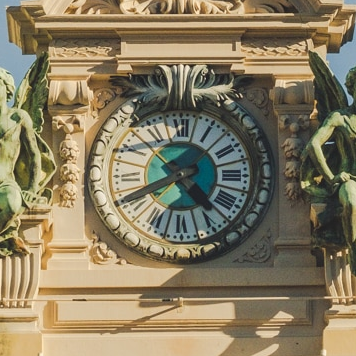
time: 4:40
